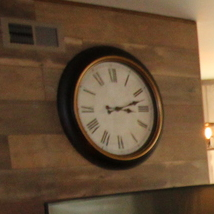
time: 3:12
